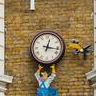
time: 12:16
